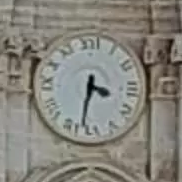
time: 3:32
